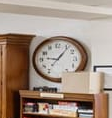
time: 9:06
